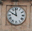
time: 9:58
